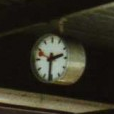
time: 2:31
